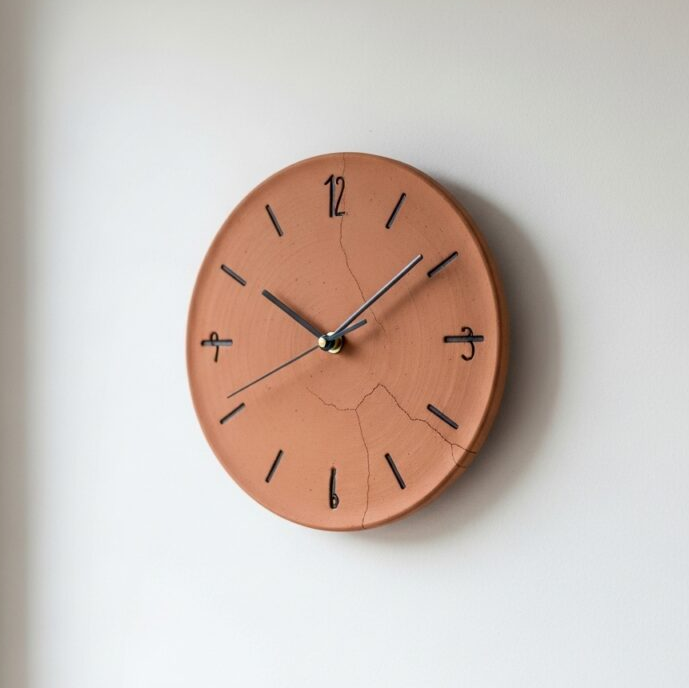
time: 10:08
